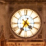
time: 4:34
